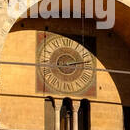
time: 2:12
